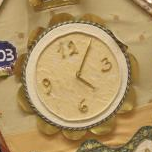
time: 4:04
